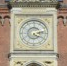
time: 4:13
